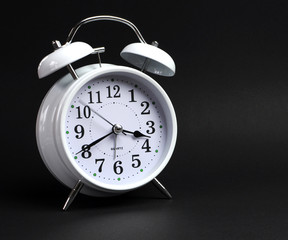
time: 3:40
